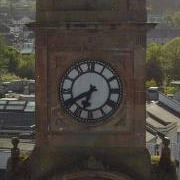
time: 6:40
